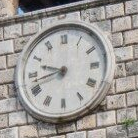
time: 9:42
